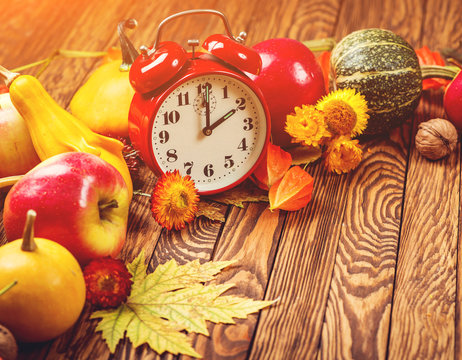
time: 2:00
